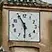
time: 5:55
